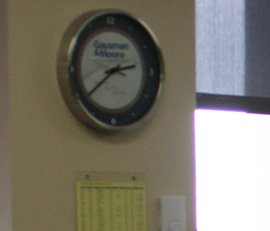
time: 2:38
